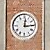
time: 12:14
